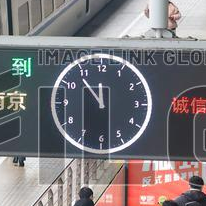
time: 11:53
